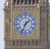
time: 1:33
